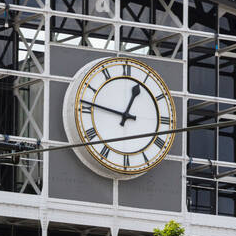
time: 12:46
